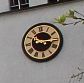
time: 10:15
